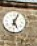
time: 5:03
